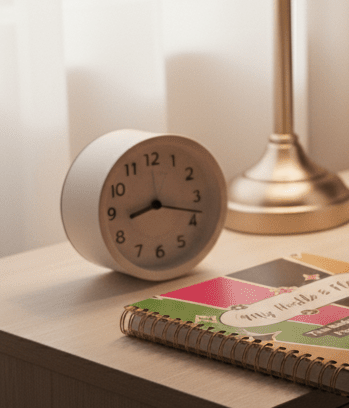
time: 8:18
